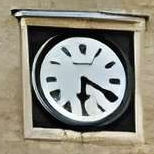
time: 6:19
